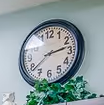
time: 2:38
